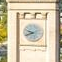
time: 9:41
